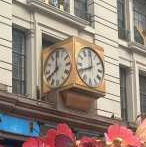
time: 7:59
